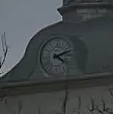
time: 4:11
